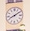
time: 8:09
